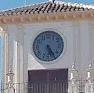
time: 5:24
